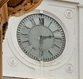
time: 2:31
